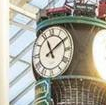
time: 11:09
